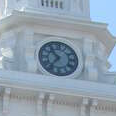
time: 10:36
